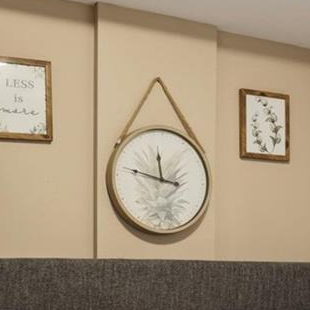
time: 11:46
